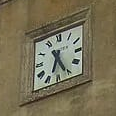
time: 6:25
